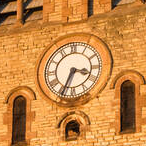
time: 3:34
